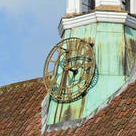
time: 3:32
